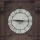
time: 9:15
